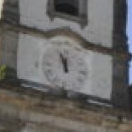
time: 11:56
